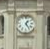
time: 1:24
